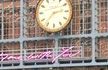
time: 2:37
